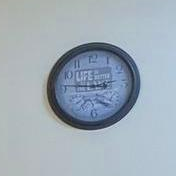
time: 2:45
